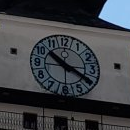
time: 10:20
